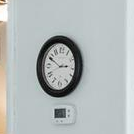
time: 2:49
